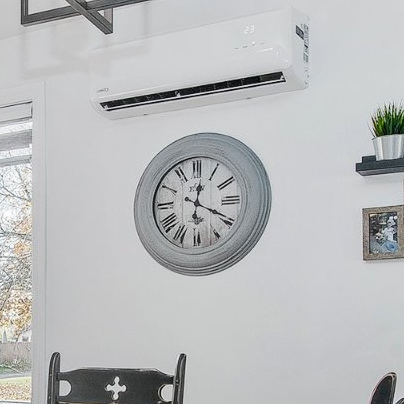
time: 12:19
